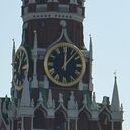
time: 12:07
